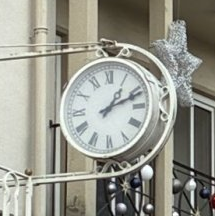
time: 1:11
